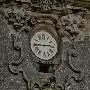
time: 2:44
